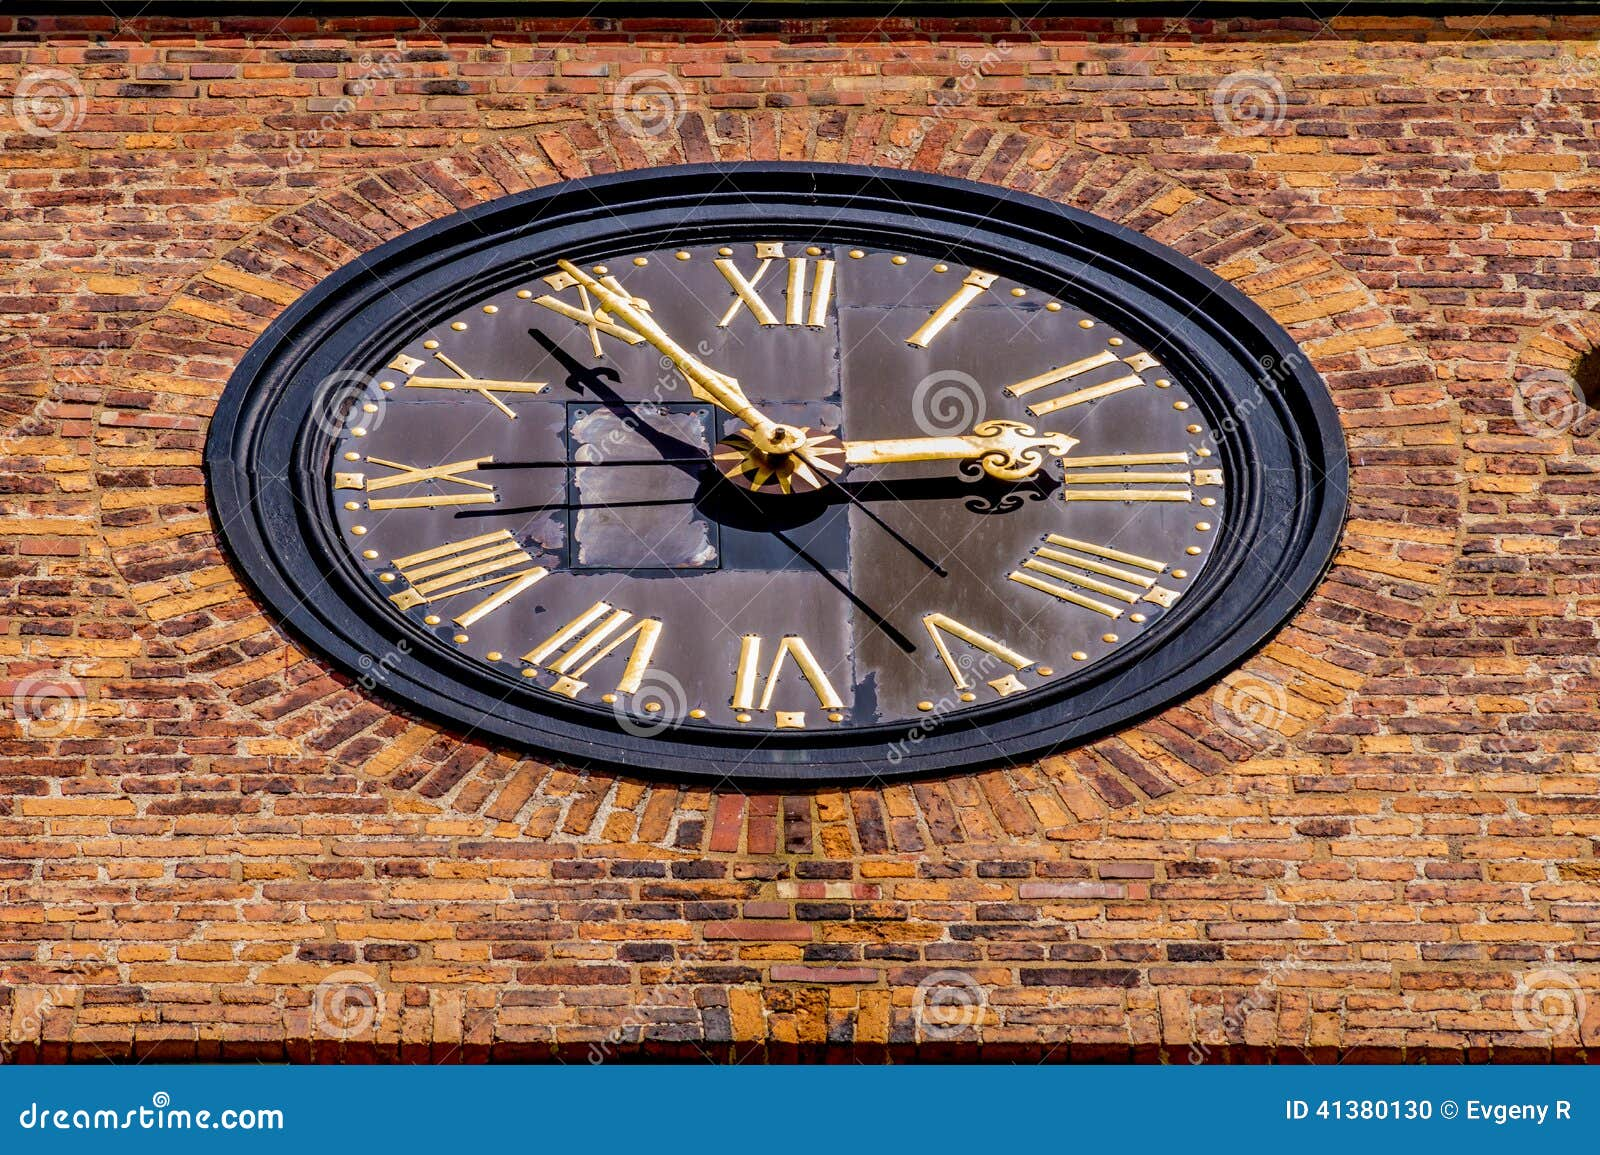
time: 2:53
